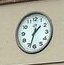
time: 1:33
